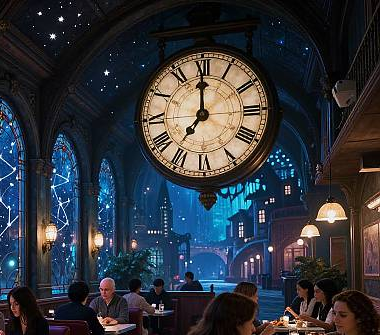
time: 6:59
